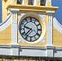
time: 9:37
